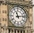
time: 11:13
